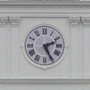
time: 2:25
